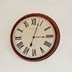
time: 3:03
